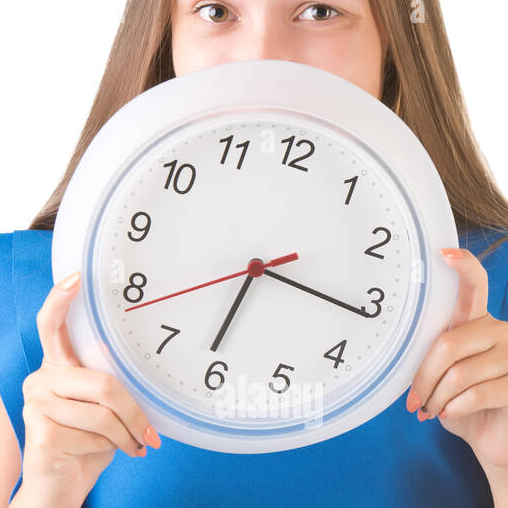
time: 6:16
